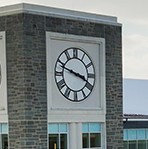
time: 3:48
